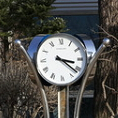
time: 3:21
